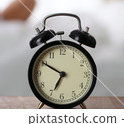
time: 6:50
